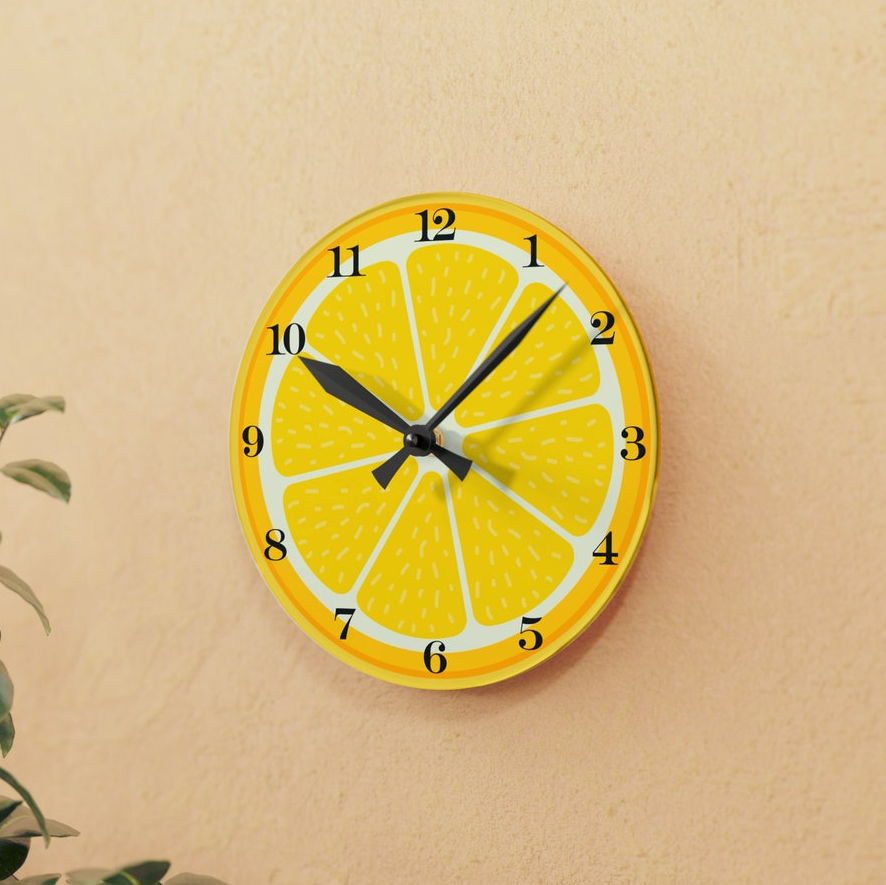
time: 10:07
